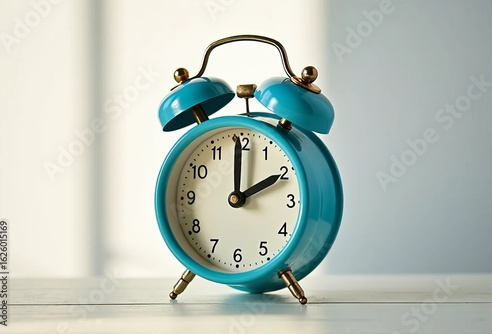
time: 1:59
